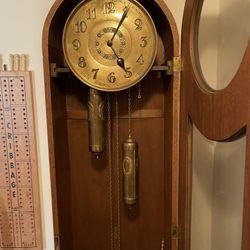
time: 5:05
